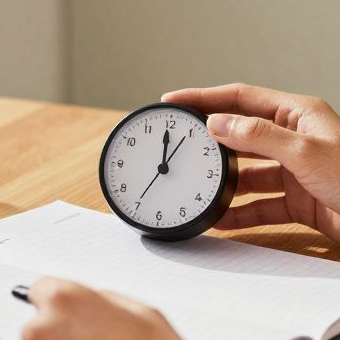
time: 11:59
